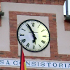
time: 5:55
